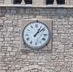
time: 1:08
